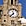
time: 11:37
